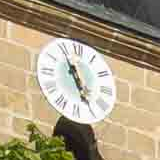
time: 4:55
